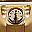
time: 6:29
